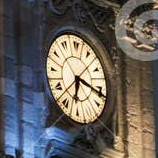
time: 6:16
